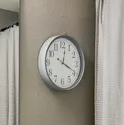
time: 12:19
